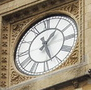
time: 1:26
